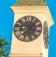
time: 1:16
